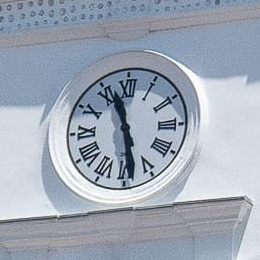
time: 11:28
